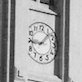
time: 9:07
